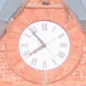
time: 7:53
